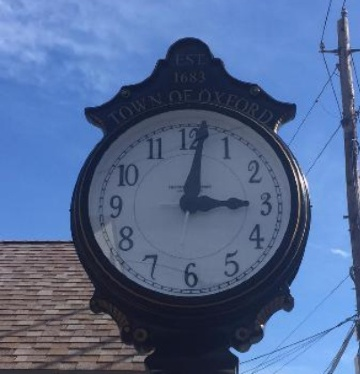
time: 3:01
